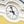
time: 8:57
